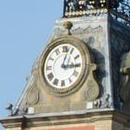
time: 3:02
